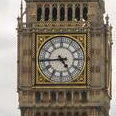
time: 4:44
